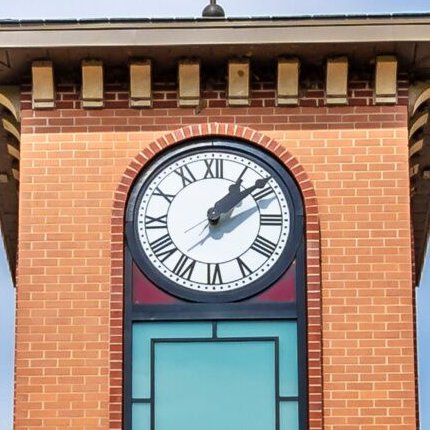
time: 1:08
